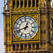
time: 12:42
